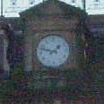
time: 1:47
